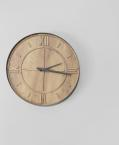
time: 2:16
